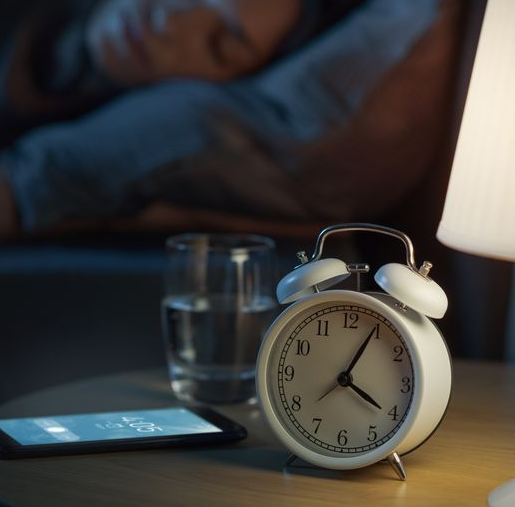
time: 4:04
